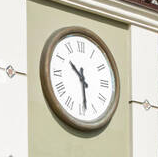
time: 10:28
